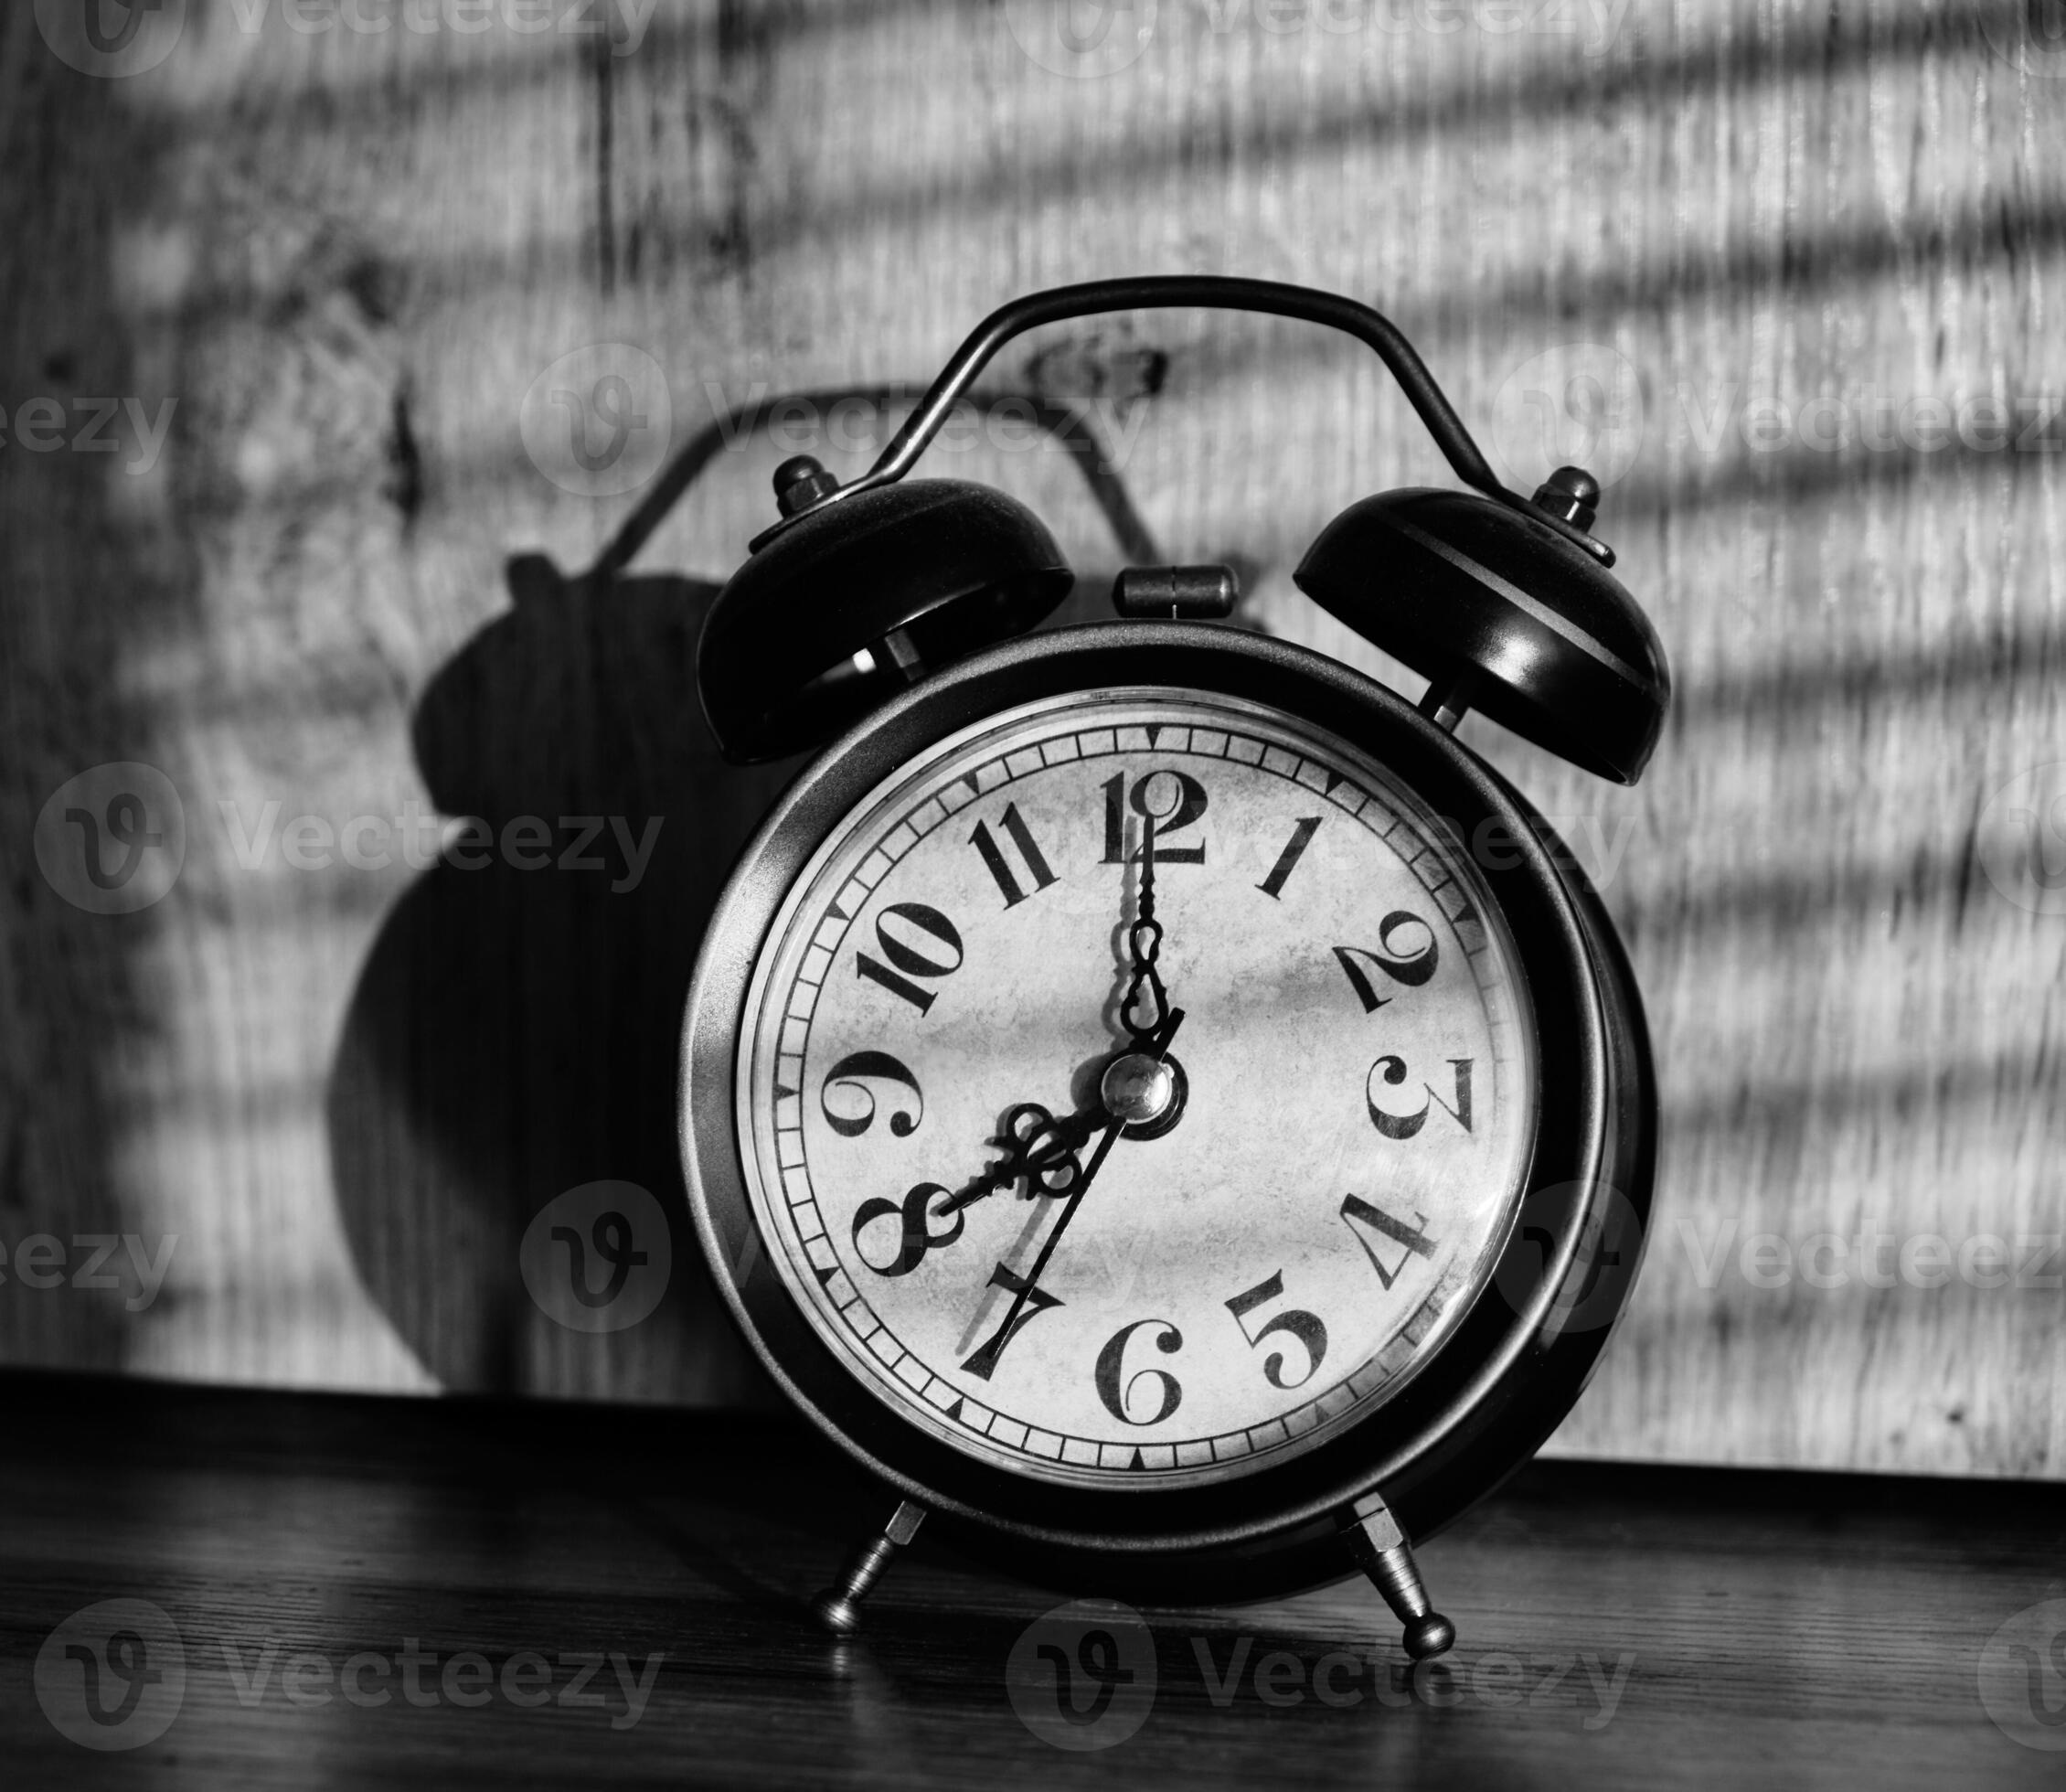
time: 7:00
